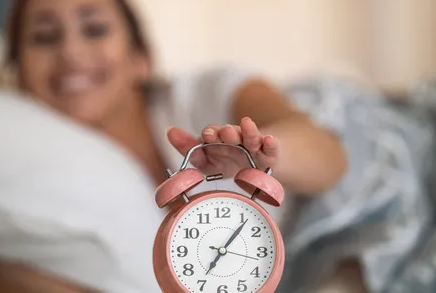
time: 7:06
